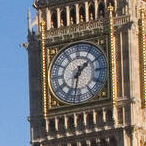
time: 1:32
